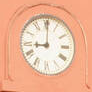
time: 9:00
